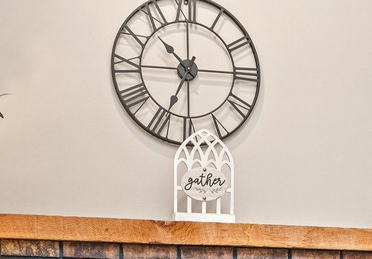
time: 10:34
